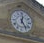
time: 12:24
